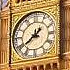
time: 1:39
